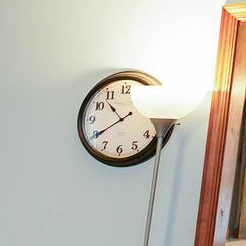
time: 10:39
